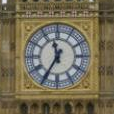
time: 11:35
